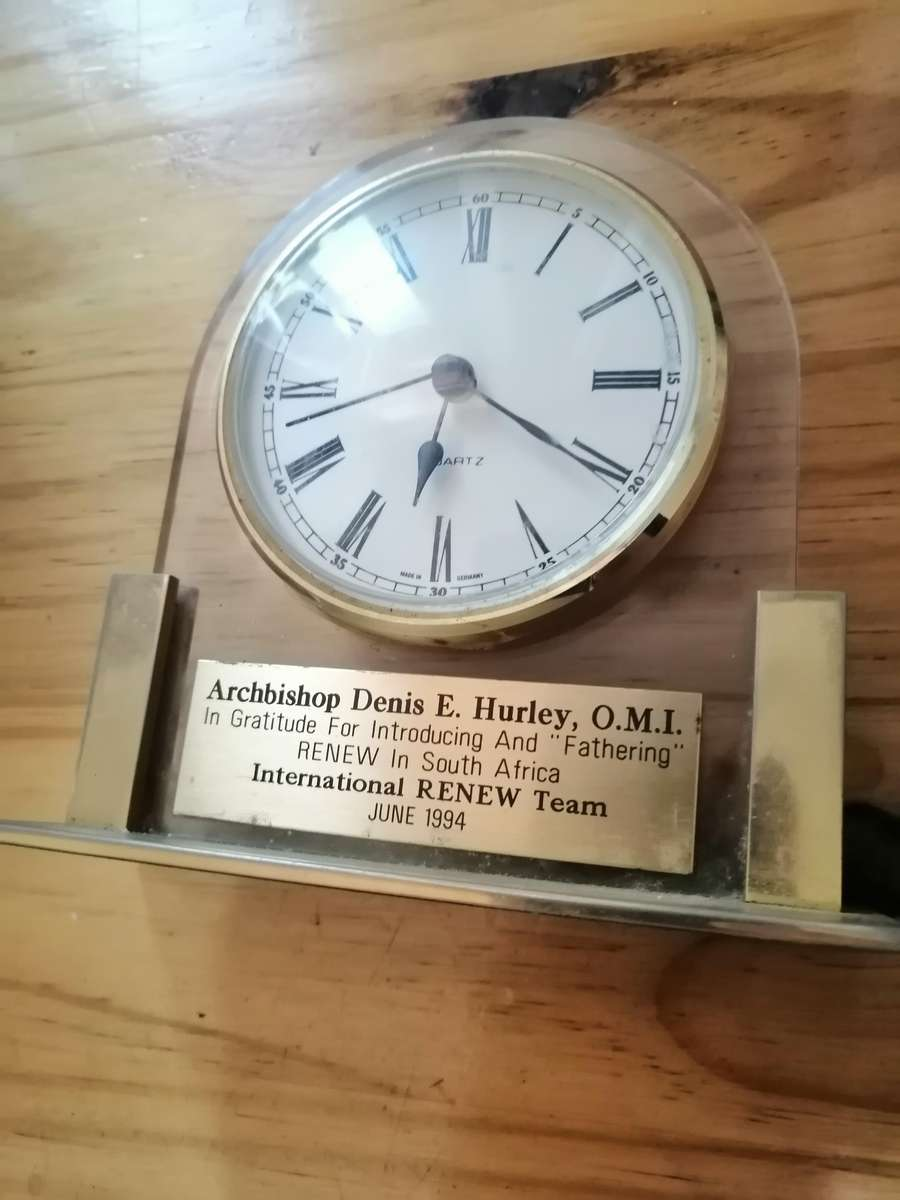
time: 6:19
